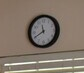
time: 11:40
